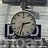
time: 2:33
